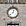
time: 12:38
